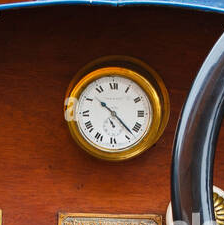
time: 10:22
